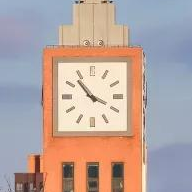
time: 3:53
